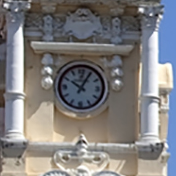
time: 10:04
